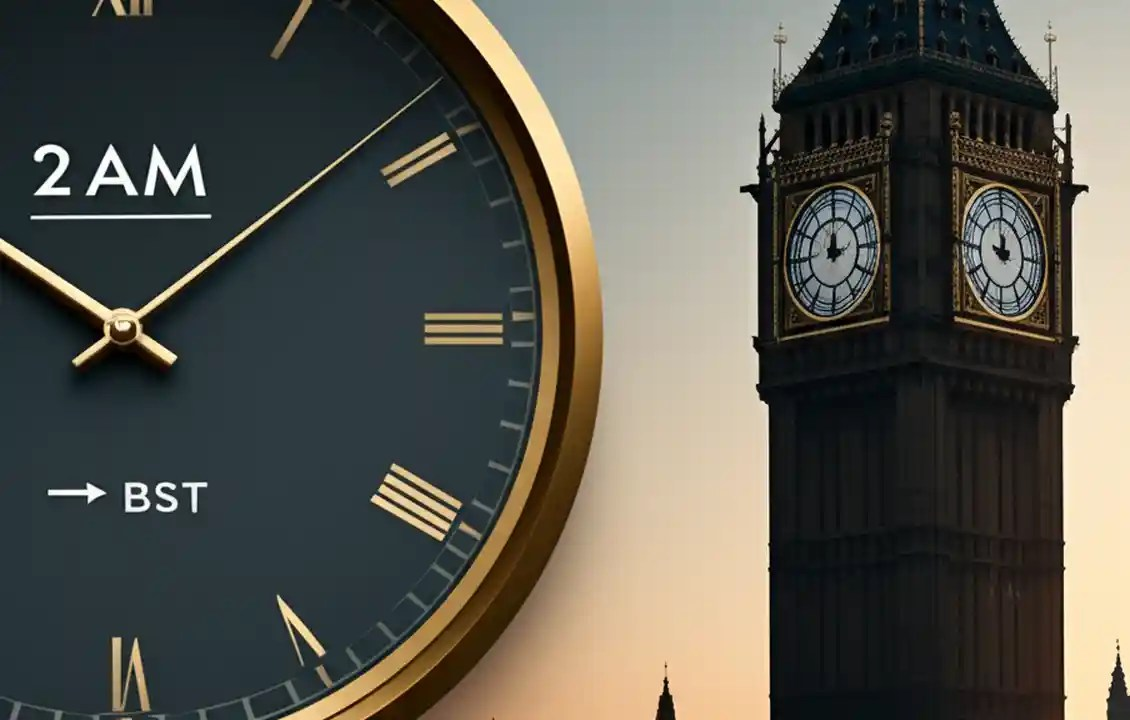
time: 10:08
